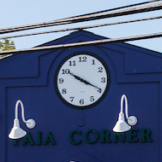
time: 3:50
